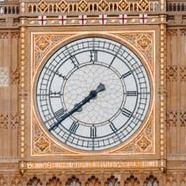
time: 7:38
